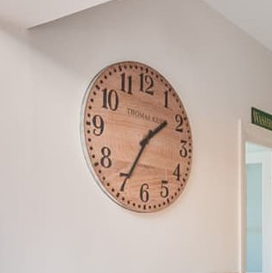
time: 1:34
